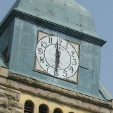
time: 5:59
